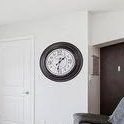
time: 1:32
